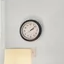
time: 2:08
